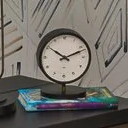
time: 10:11
